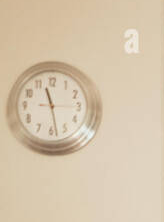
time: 11:28
